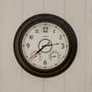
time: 2:38
